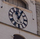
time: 11:05
